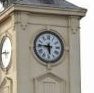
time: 5:45
